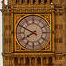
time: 7:49
